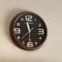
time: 11:37
